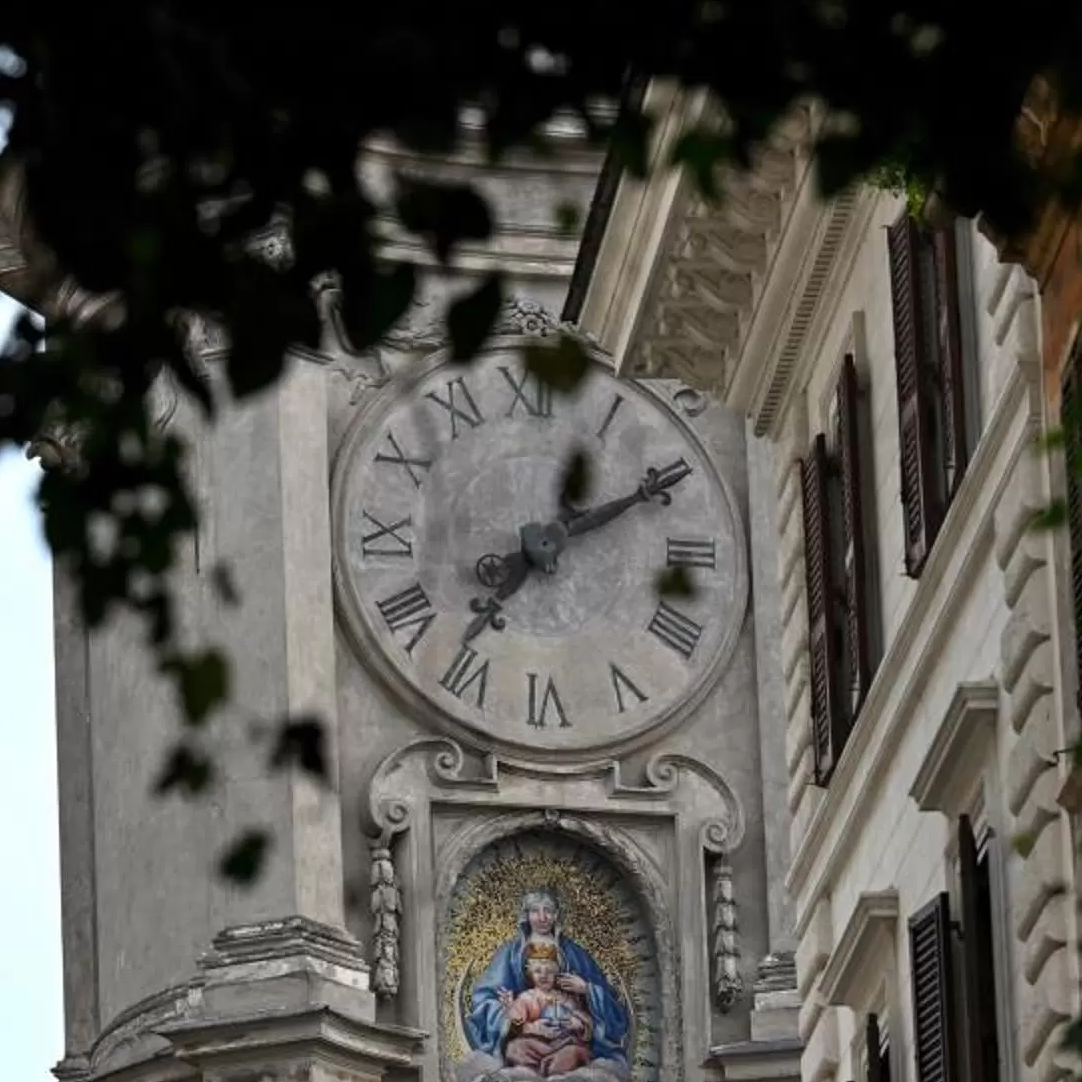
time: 7:10
